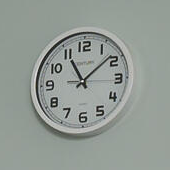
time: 11:08
